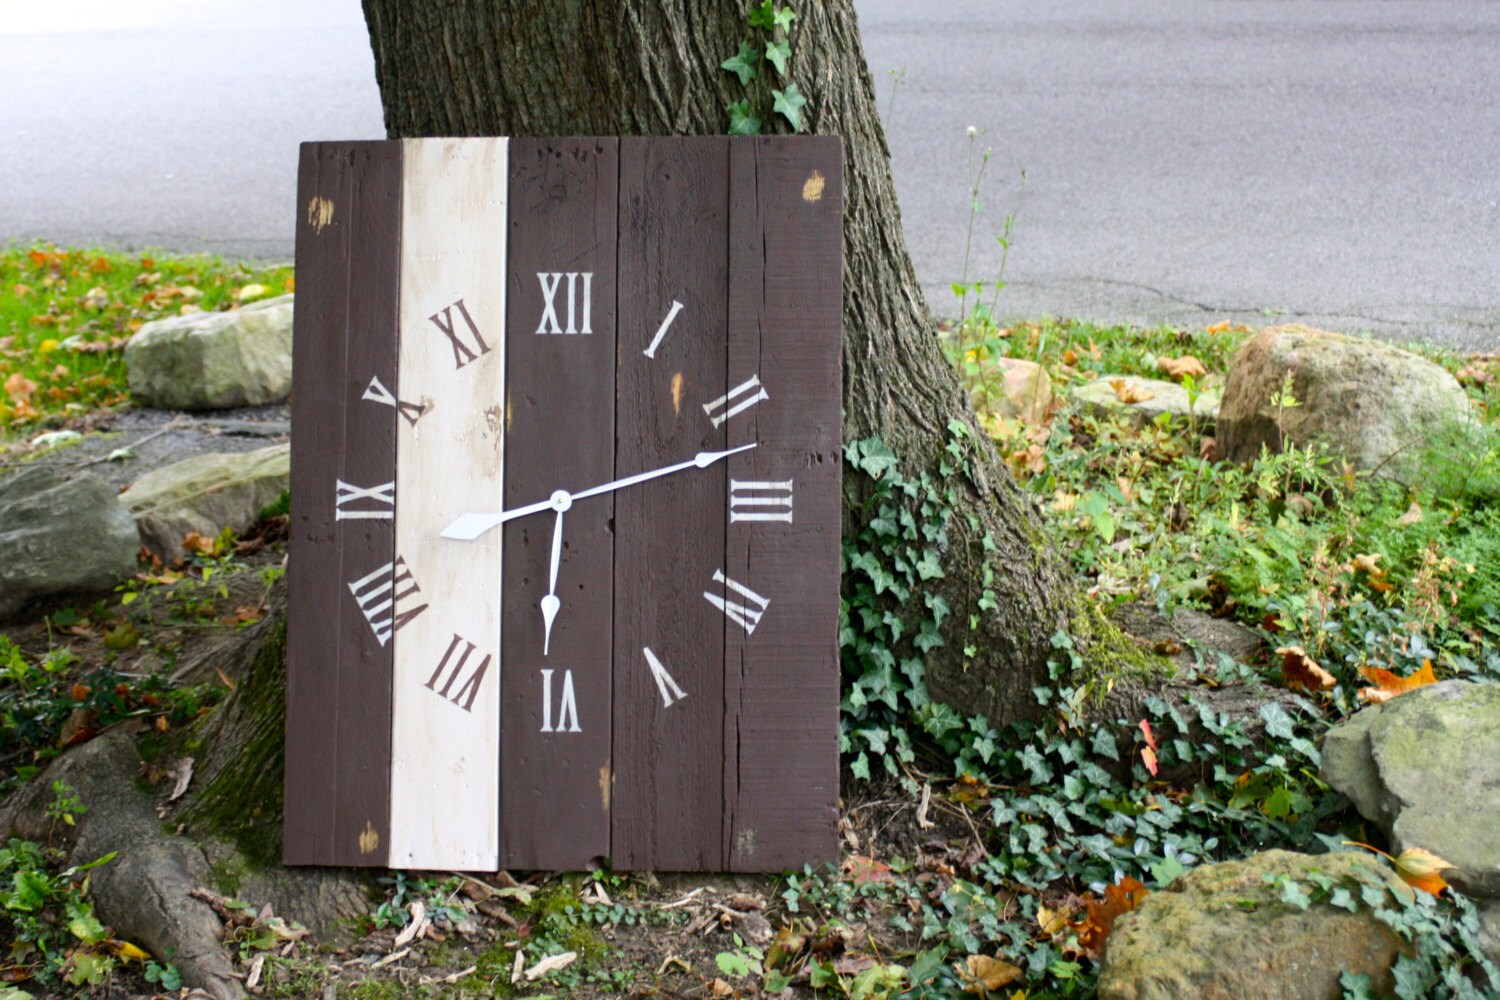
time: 6:12
